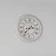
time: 2:36
